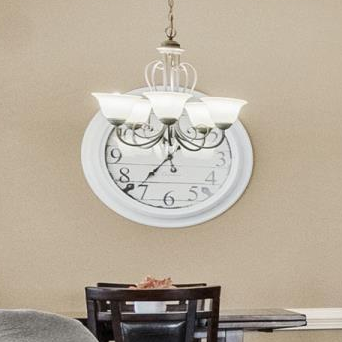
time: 11:37
